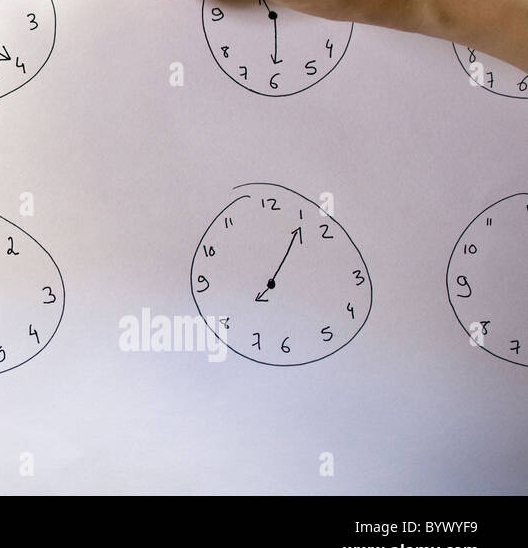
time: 1:06
